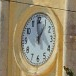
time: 12:58
